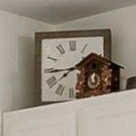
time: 1:44
